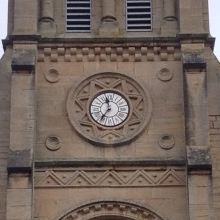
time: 11:35
